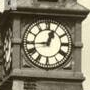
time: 12:44
